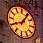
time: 8:06
